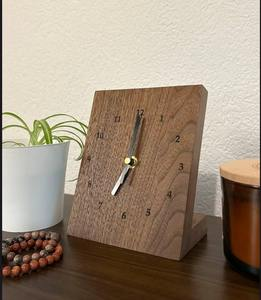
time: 7:00
